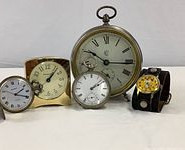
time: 10:15
